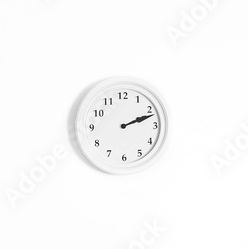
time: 2:11
